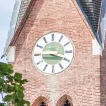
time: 3:45
